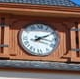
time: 2:17
